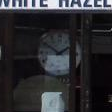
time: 1:50
